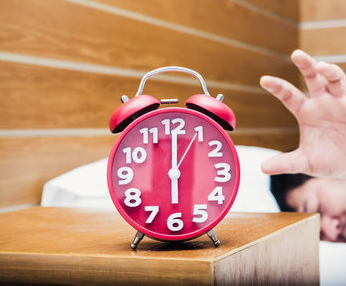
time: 6:00
